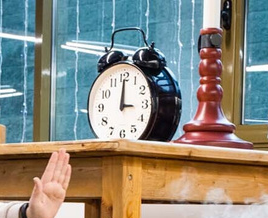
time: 3:00
